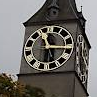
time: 11:15
